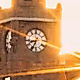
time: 8:34
